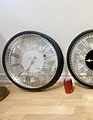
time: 6:32
